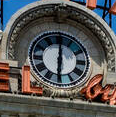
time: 6:00
